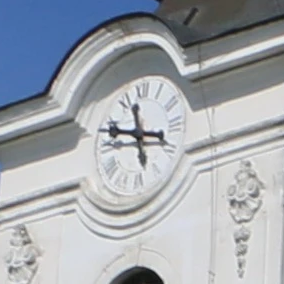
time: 11:47
